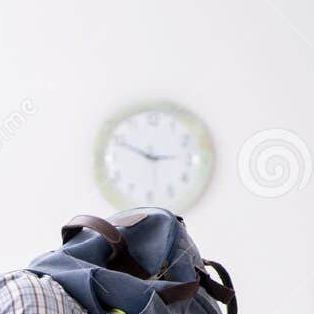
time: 2:49
